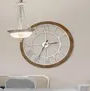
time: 2:34
